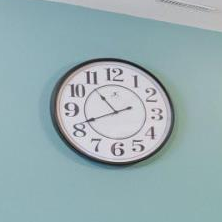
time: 10:41
